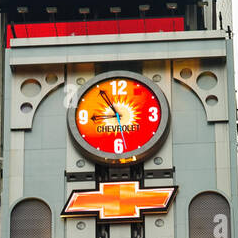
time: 8:54
